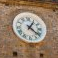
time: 1:21
